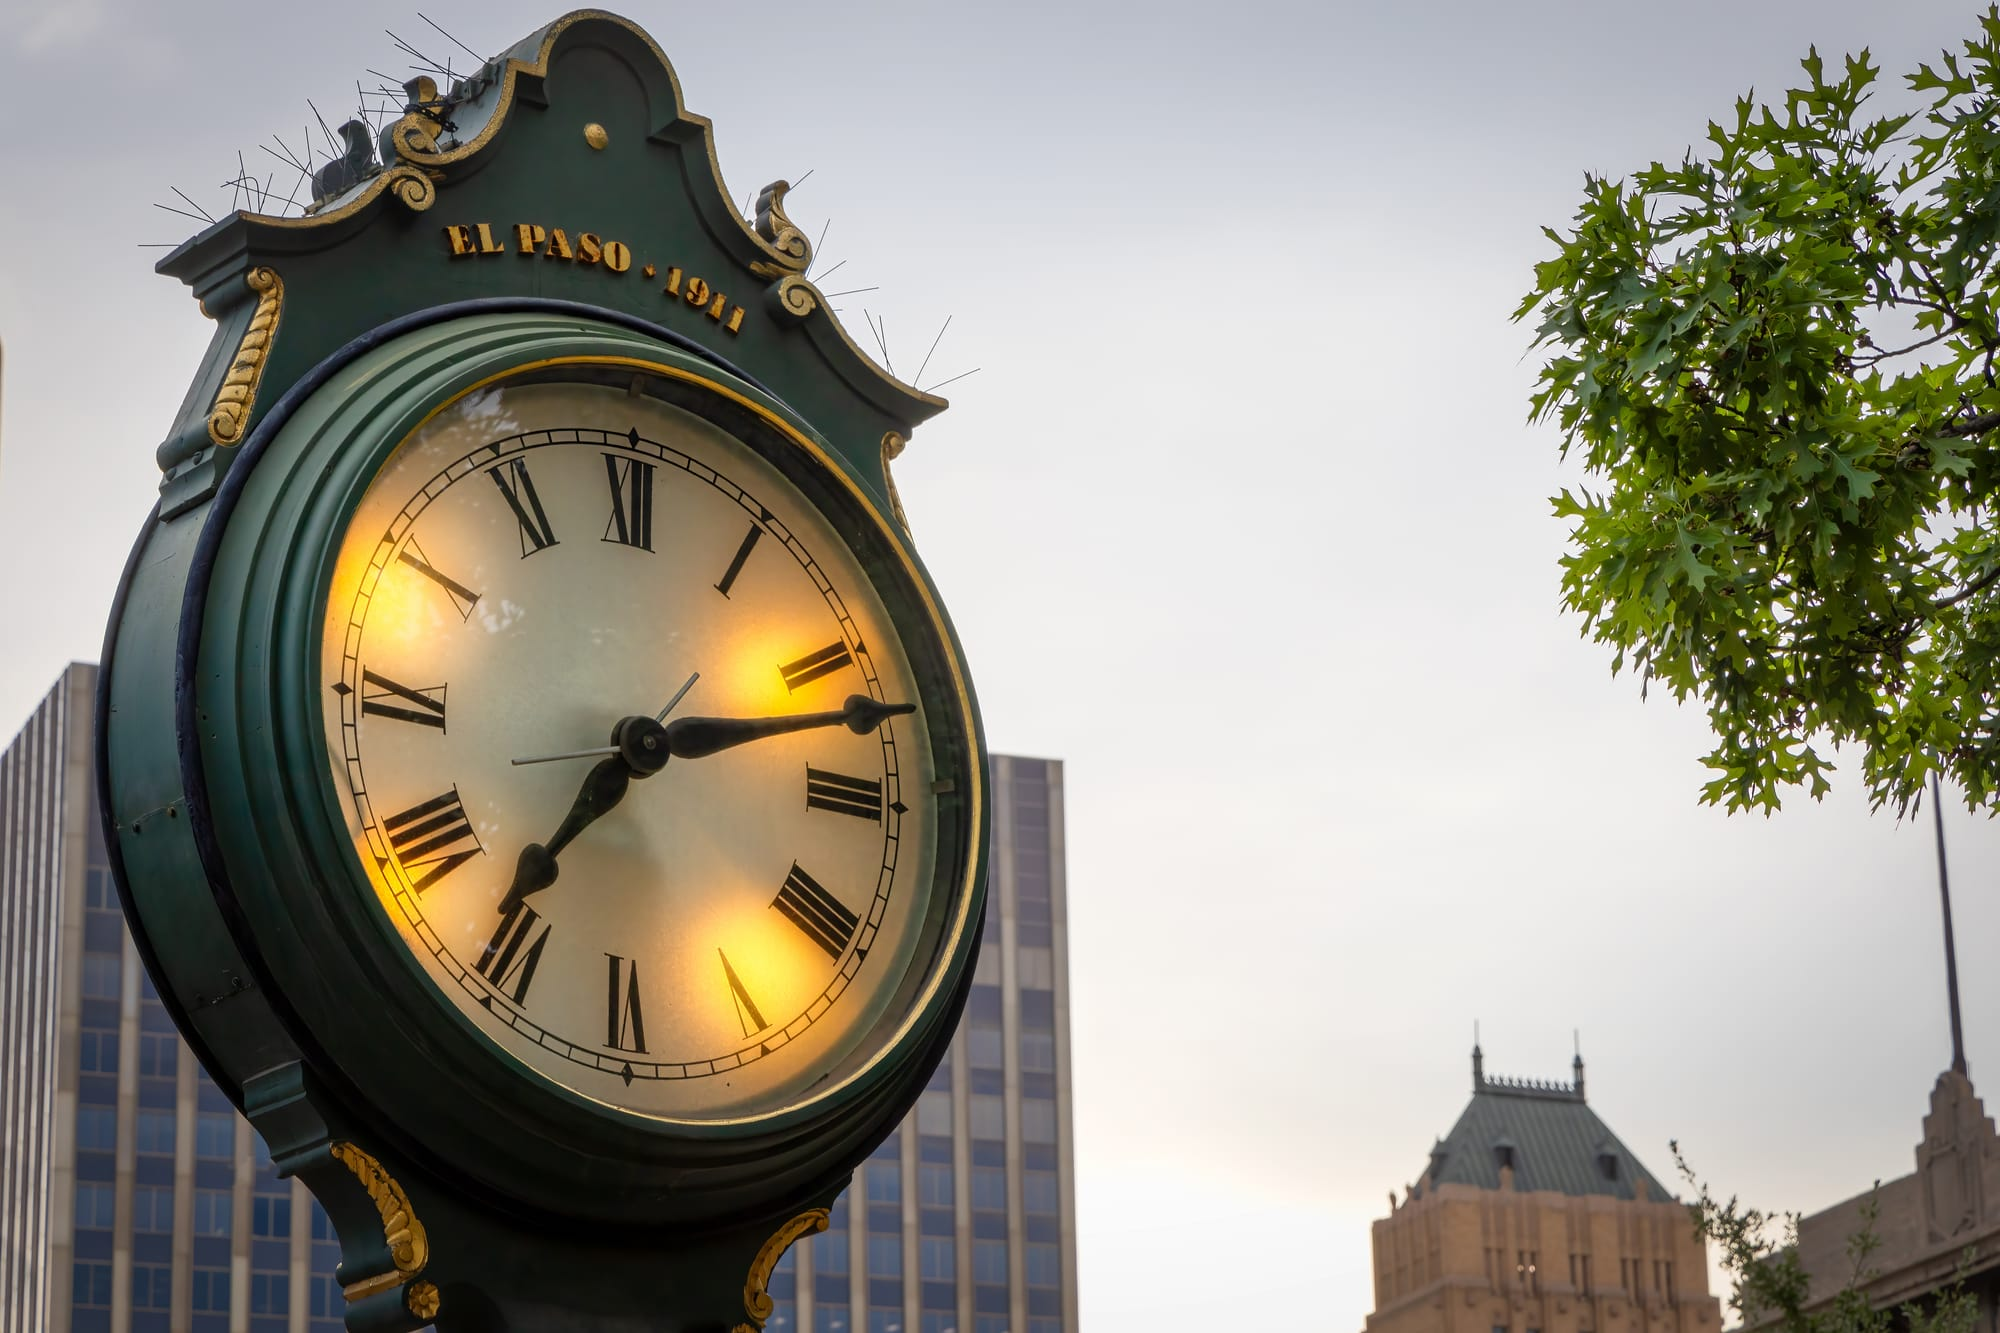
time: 7:12
